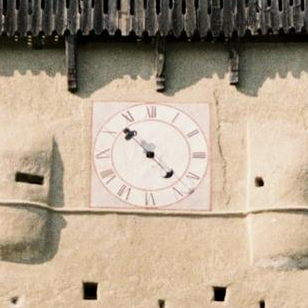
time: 10:22
